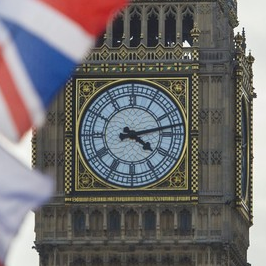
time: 4:12
